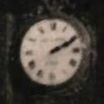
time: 2:10
